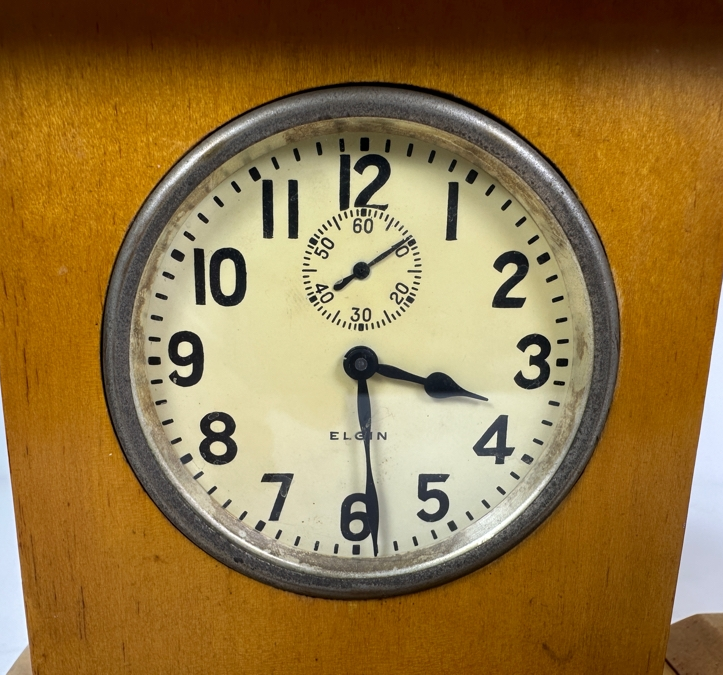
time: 3:28
